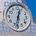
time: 12:32
